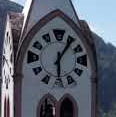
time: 6:06
